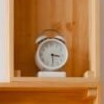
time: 3:29
